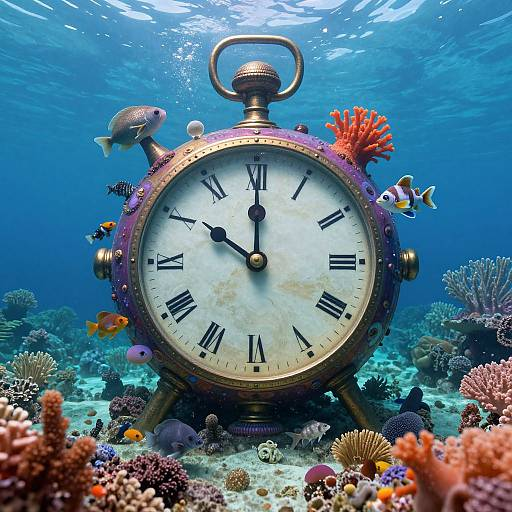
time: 10:00
